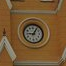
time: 9:05
